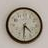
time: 4:30
